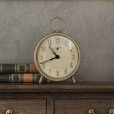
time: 10:41
